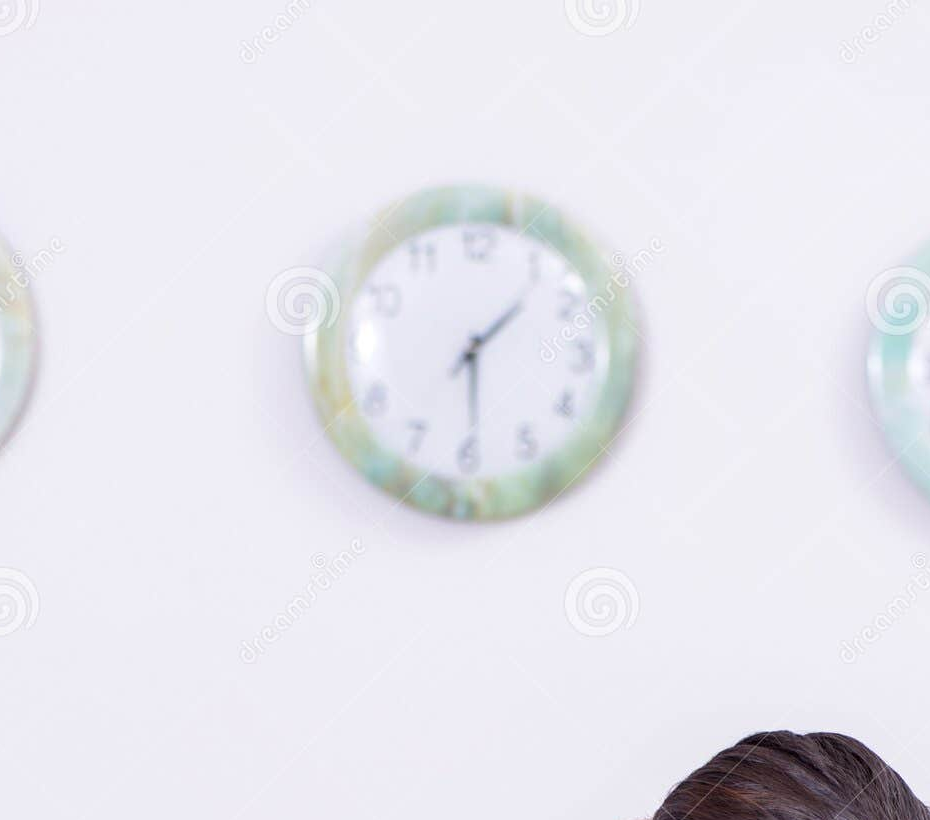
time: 1:29
